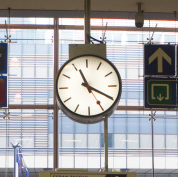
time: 11:19
